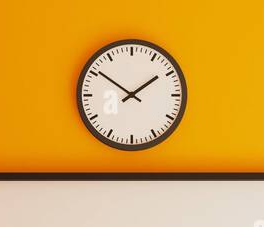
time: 1:50
